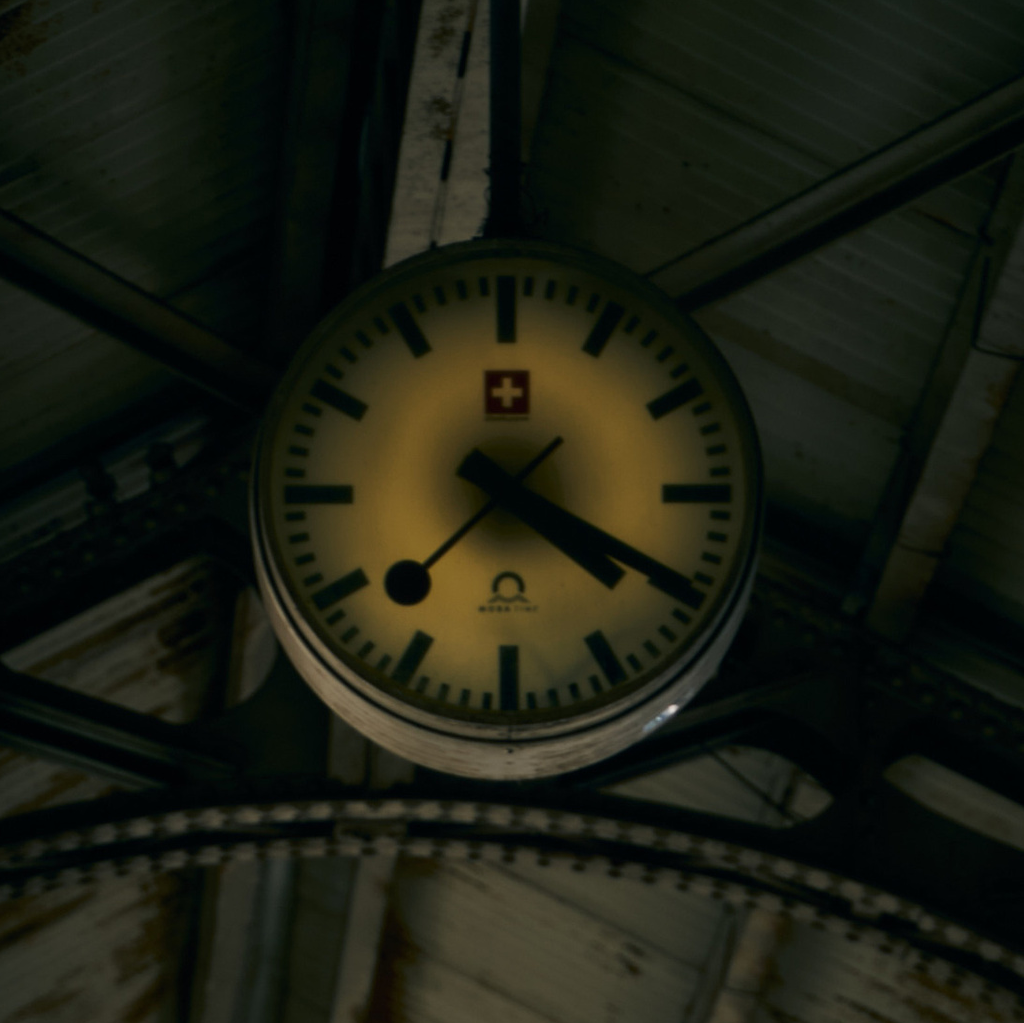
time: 4:19
